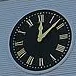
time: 12:07
